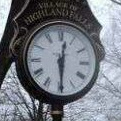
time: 12:29
